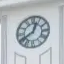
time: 12:39
